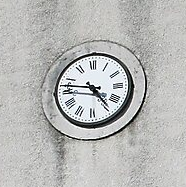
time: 4:46
